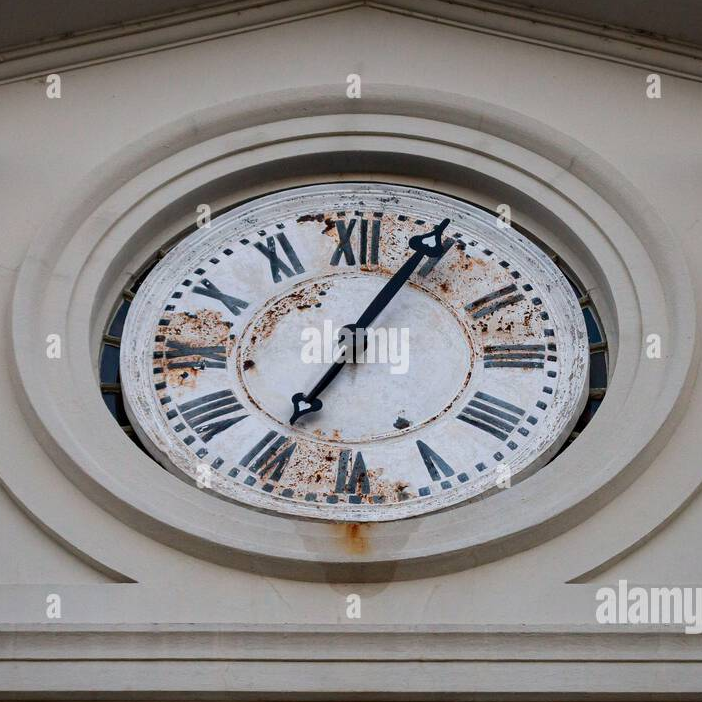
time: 7:04
